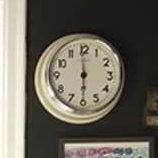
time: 5:59
